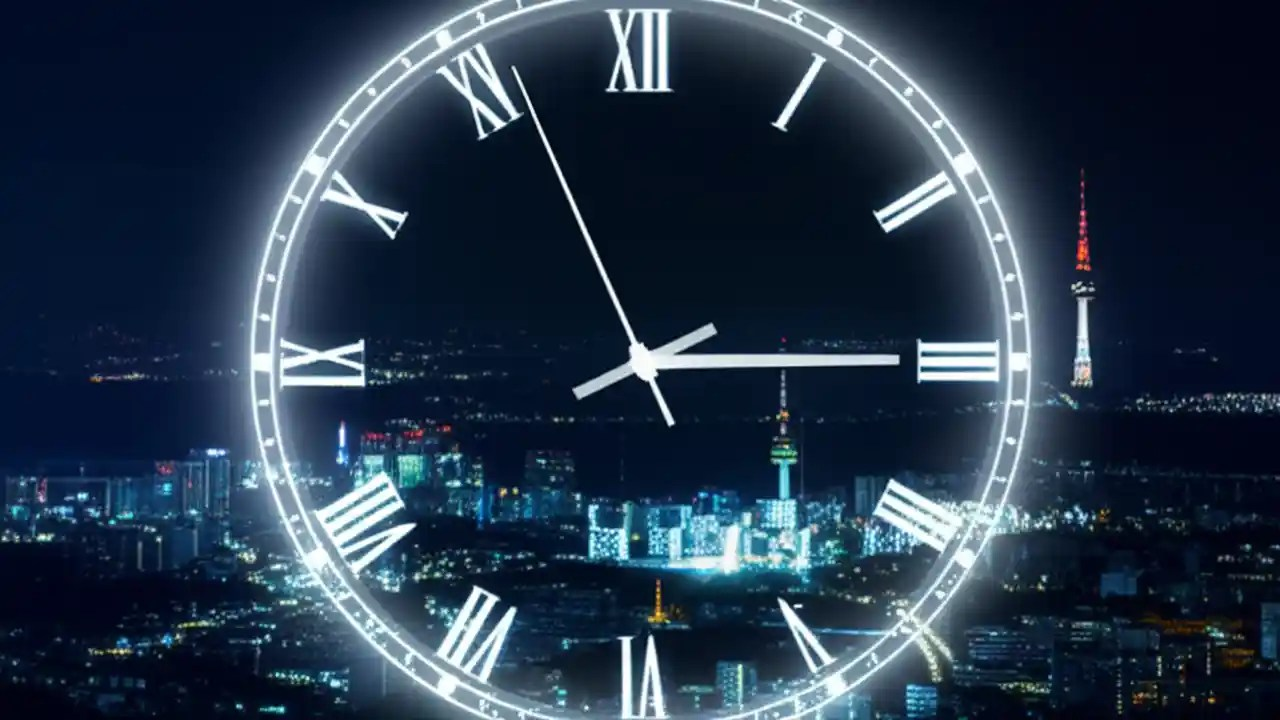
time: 2:56
